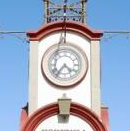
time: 4:36
